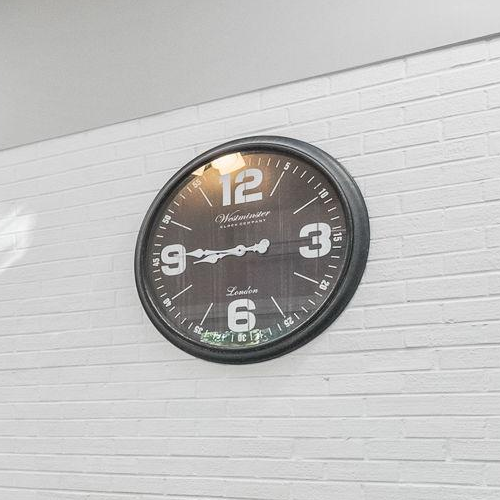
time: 8:45
